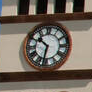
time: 10:32
